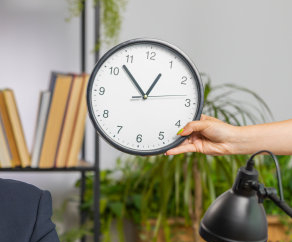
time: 12:52
